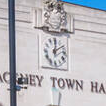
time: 12:09
